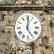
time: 5:01
